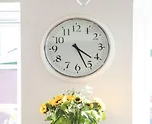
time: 4:26
